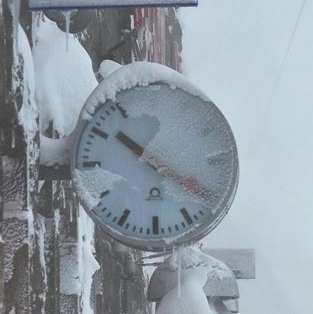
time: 10:20
